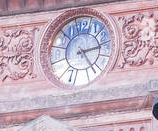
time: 2:24
